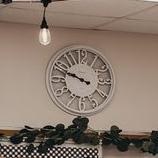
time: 9:48
